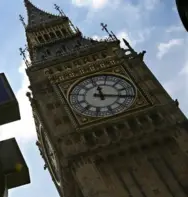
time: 11:16
